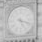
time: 5:18
